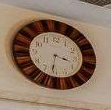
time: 3:31
